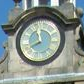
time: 11:41
